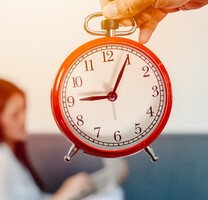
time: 9:04
